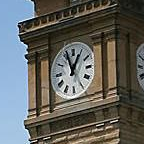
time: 12:56
